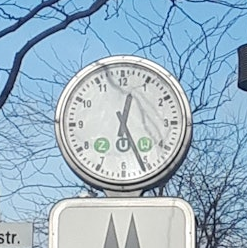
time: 12:26
